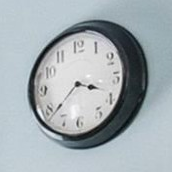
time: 3:38
